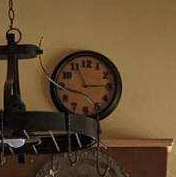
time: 11:14
